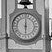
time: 6:00
